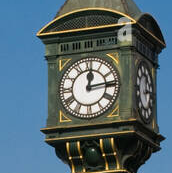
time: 12:13
